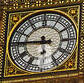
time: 5:45
